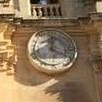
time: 12:19
